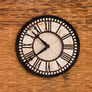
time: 10:38
